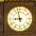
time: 8:57
